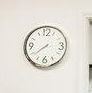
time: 7:38
